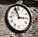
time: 2:56
